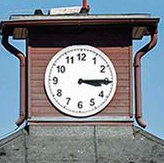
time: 3:14
